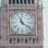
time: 11:21
